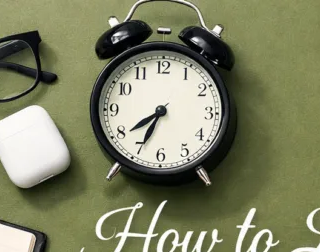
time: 7:34
